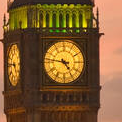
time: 4:46
